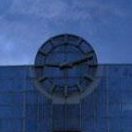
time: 9:11
